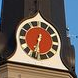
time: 6:32
